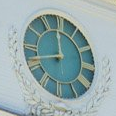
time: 11:42
